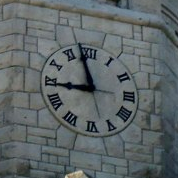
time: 8:57
